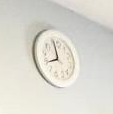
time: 7:57
